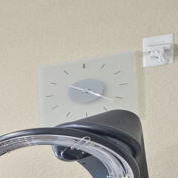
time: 10:21
